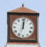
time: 12:01
